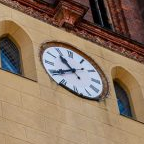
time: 10:39
